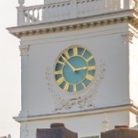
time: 2:52
